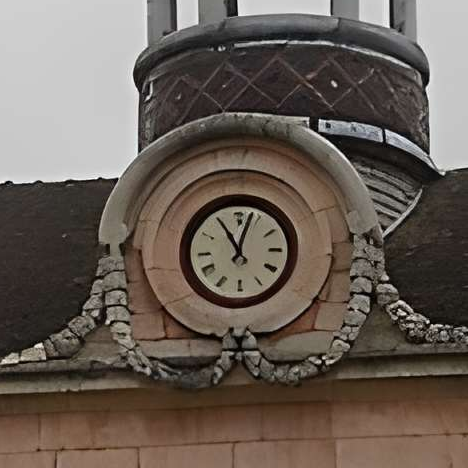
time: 11:03
